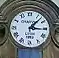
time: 3:07
